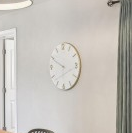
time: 9:49
